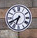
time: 6:40
